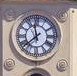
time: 11:37
